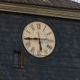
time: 5:44
